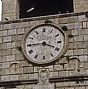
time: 3:44
